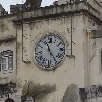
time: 11:24
